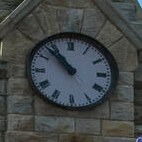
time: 10:52
